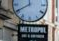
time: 11:40
